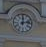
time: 12:13
